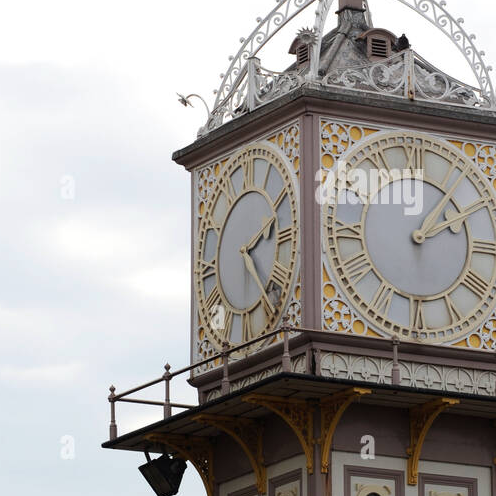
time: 2:22
